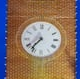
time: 7:36
